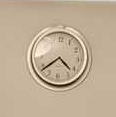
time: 4:38
